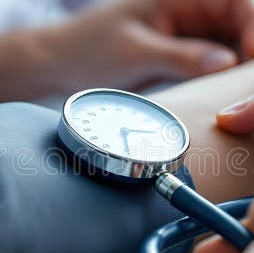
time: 2:29
